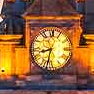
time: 8:32
